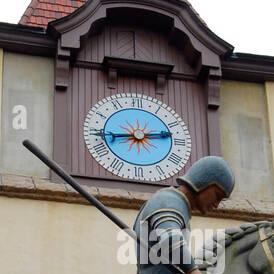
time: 2:43
